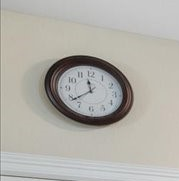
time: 11:38
